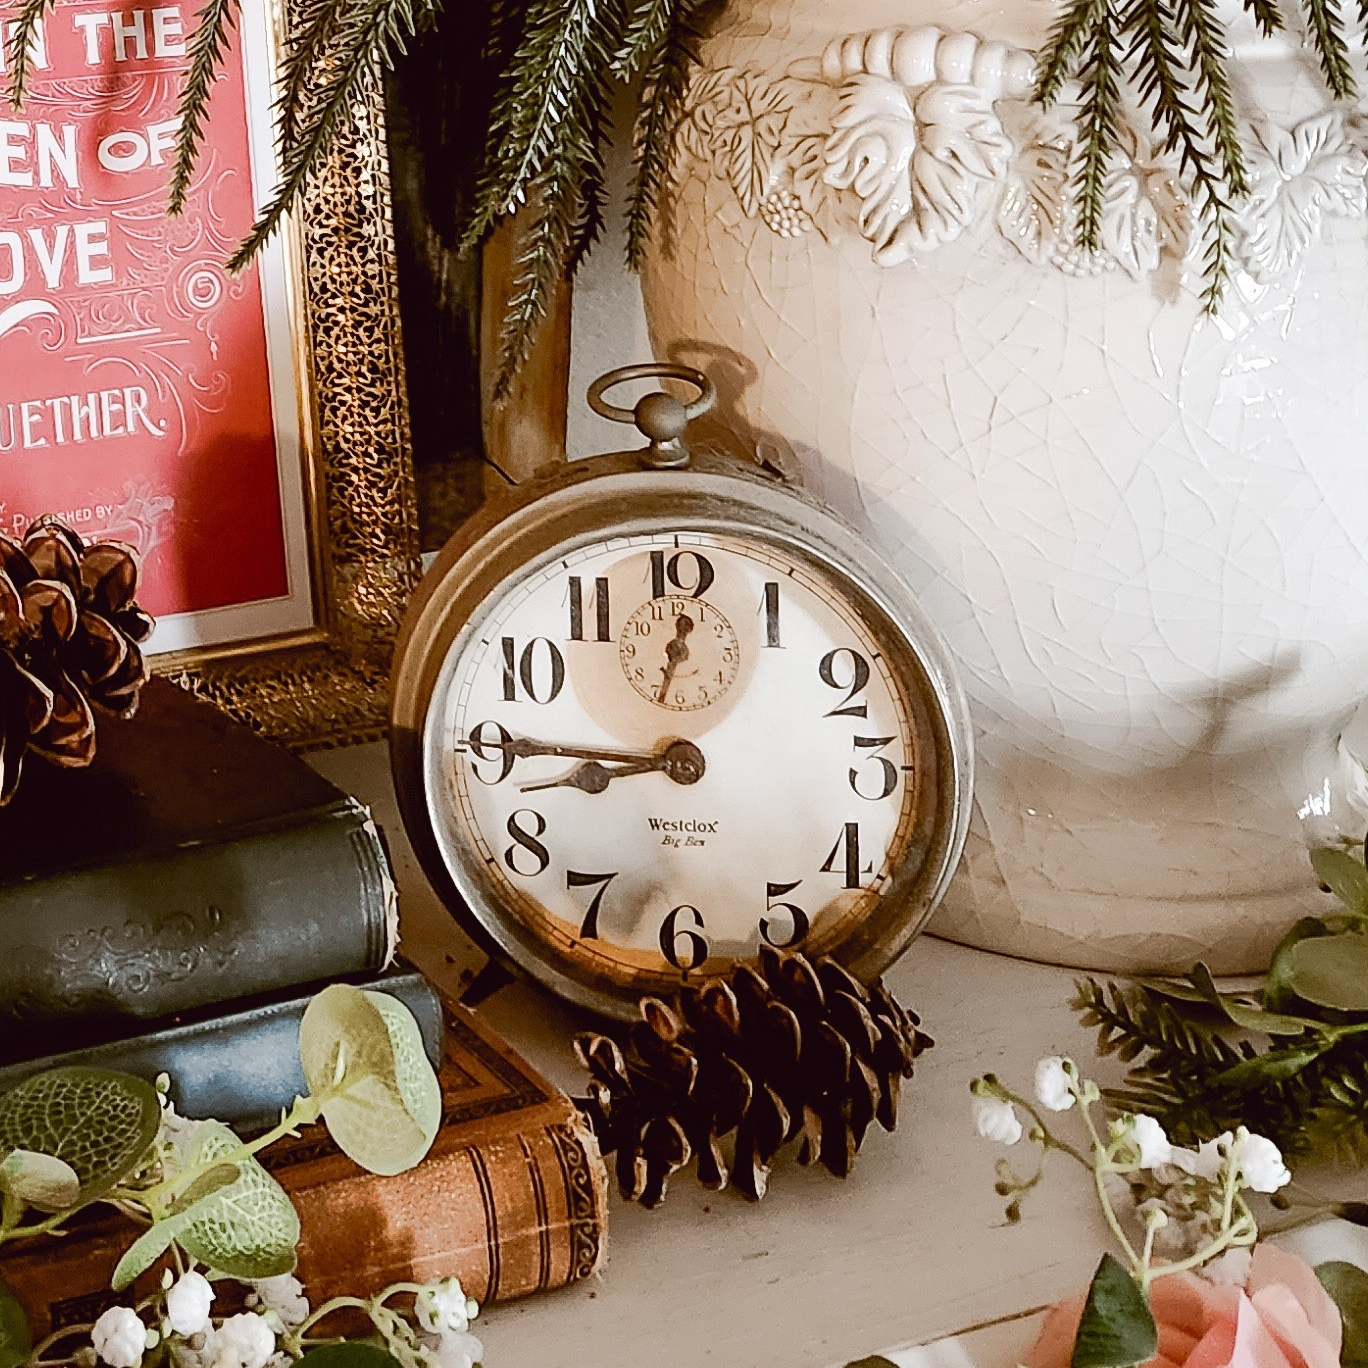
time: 8:45
